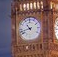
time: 10:42
